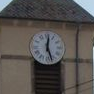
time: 12:26
